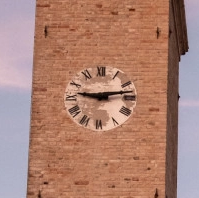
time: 9:13
